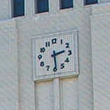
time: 2:29
